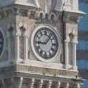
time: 9:07
